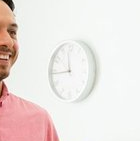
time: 11:44
